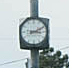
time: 3:10
